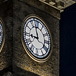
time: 8:57
